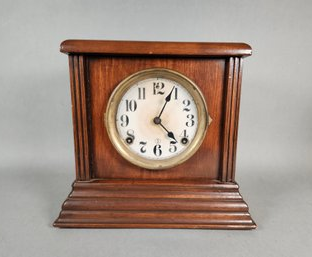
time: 4:04
